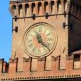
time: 11:21
